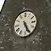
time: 5:25
